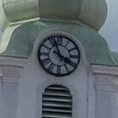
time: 3:56
